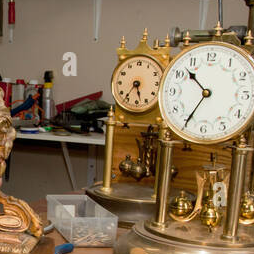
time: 10:34
